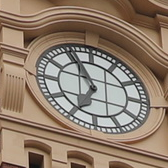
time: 6:55
